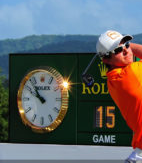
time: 9:53
